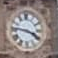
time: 3:46
